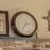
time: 2:35
